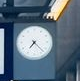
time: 7:22
